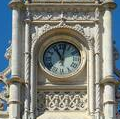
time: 11:02
